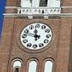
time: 11:47
